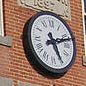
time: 5:12
